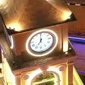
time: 7:00
